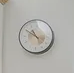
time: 10:50
